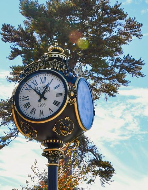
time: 12:52
